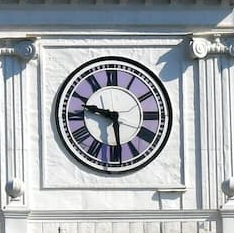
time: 9:28
